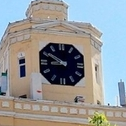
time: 8:50
